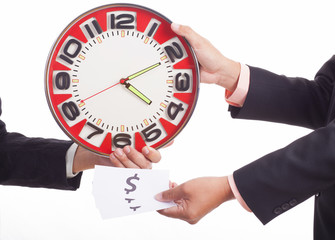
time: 4:10
